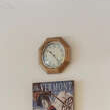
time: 10:23
